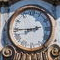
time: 2:44
